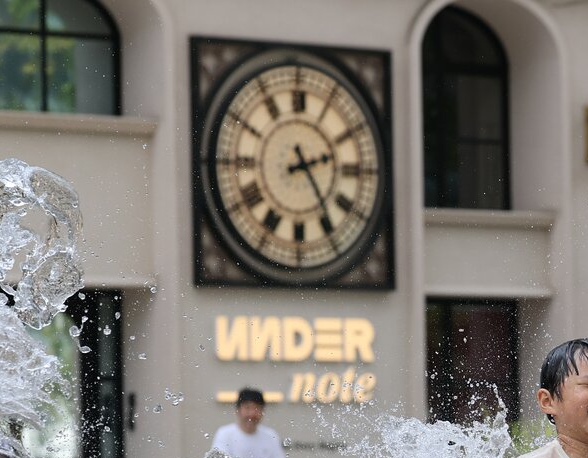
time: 2:24
